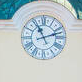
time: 11:11
